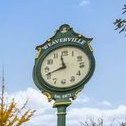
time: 11:41
